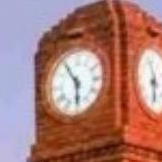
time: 5:54
